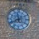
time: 11:40
